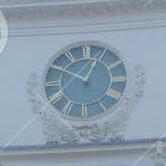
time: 12:50
